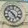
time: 4:51
